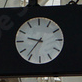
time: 9:36
